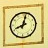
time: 8:02
